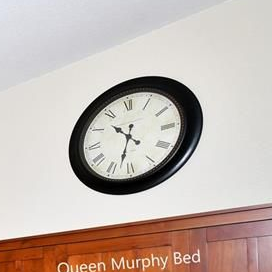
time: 10:32
